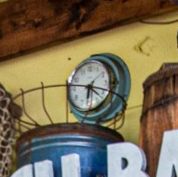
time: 6:18
